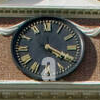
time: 4:19
